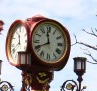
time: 11:40
